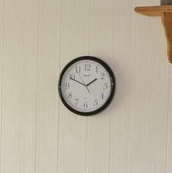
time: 1:48
